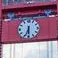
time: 6:29
